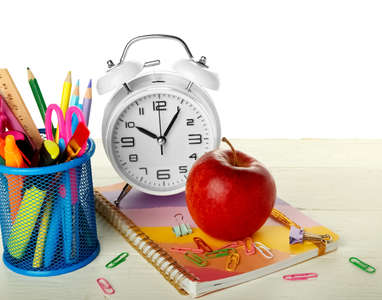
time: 10:05
